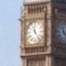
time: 11:23
